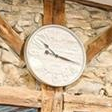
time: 10:17
